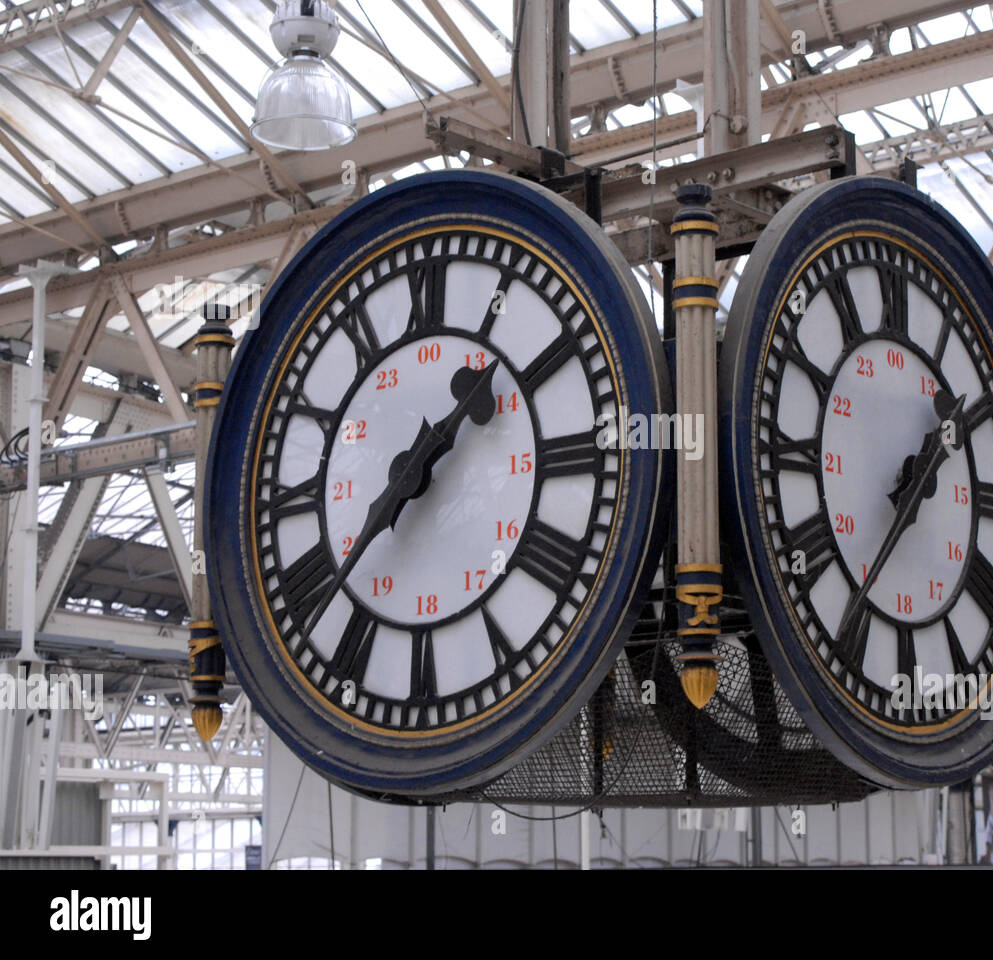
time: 1:37
